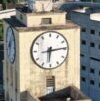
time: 6:14
